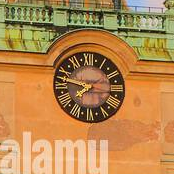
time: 7:47
